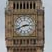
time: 2:41
